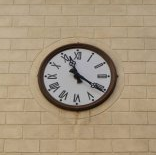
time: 11:20
